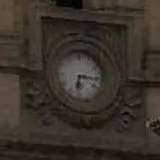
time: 6:15
